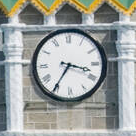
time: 3:35
